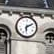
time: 6:10
